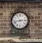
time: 2:42
